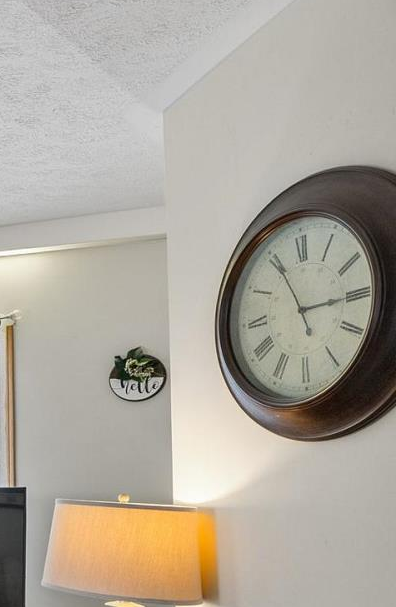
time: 2:55
